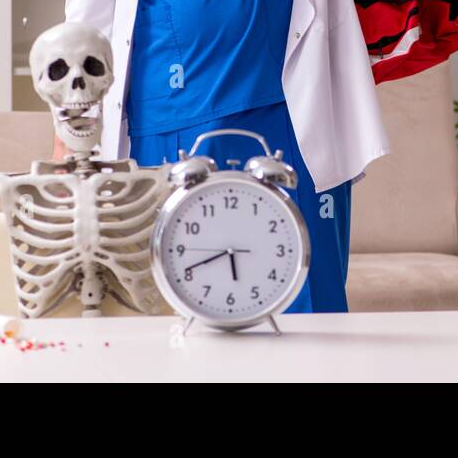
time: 5:41
